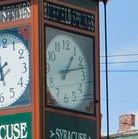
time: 1:12
